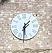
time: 1:30
